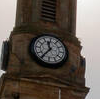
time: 11:36
